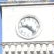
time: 9:22
